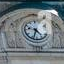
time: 4:33
